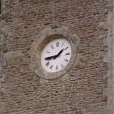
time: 1:44
